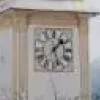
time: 1:27
